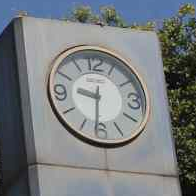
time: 9:31
